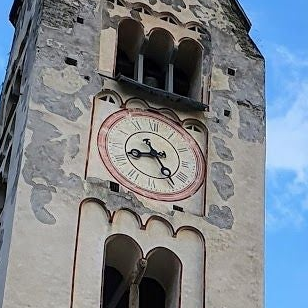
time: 8:24
